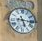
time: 5:15
